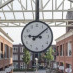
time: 9:09
